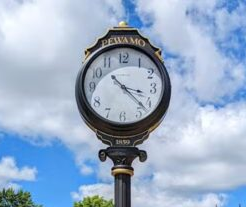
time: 3:22
